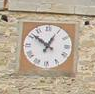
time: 12:51
